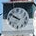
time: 9:50
